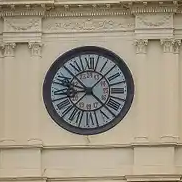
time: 9:22
